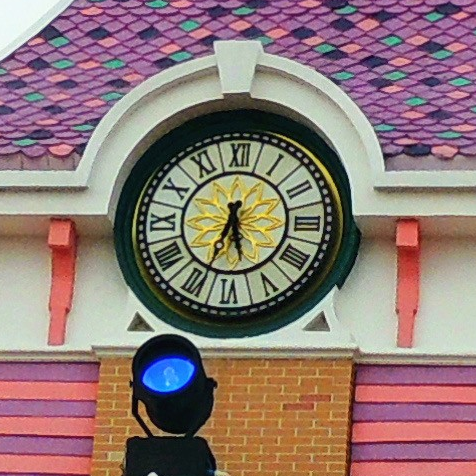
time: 5:33
